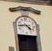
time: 4:44
